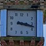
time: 3:17
